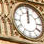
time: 12:00
